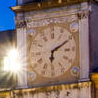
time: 6:10
